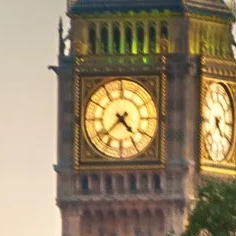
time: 4:37
